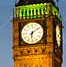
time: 6:08
